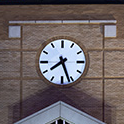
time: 7:26
